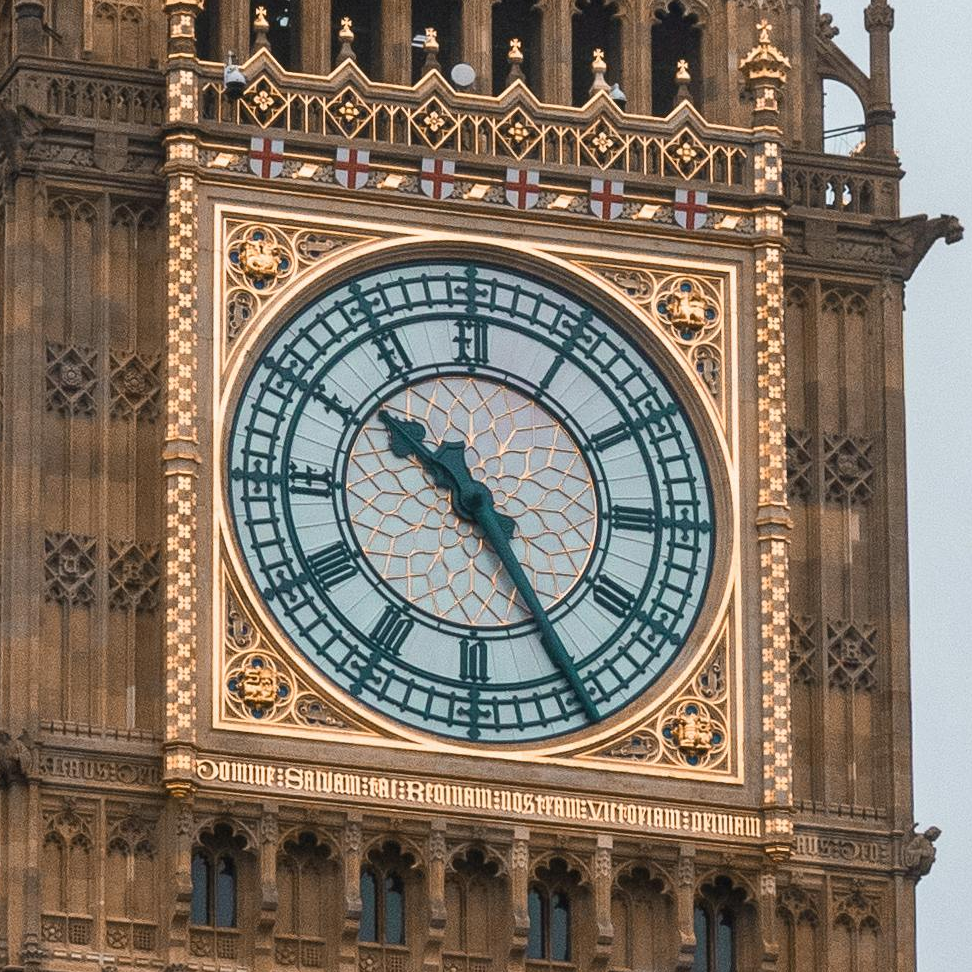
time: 10:24
